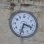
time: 3:32
